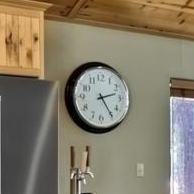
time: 2:24
